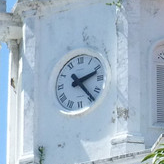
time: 2:23
